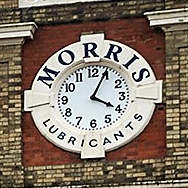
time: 4:04
